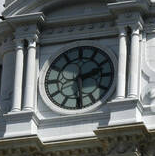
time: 2:29
